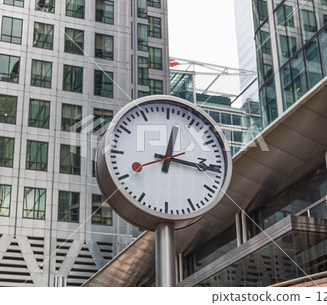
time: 12:16
